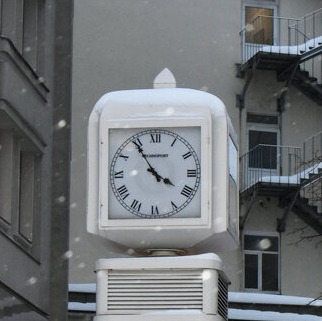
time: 3:54
